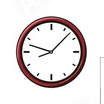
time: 8:07
